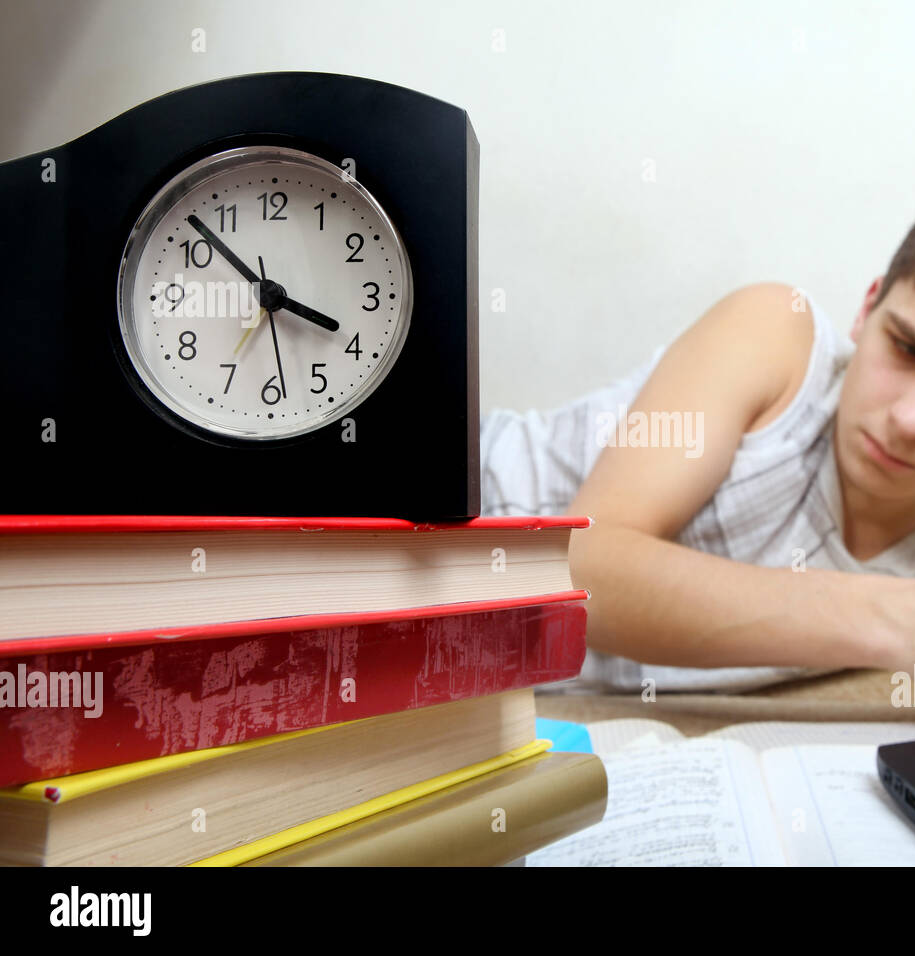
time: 3:52
